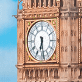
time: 6:28
